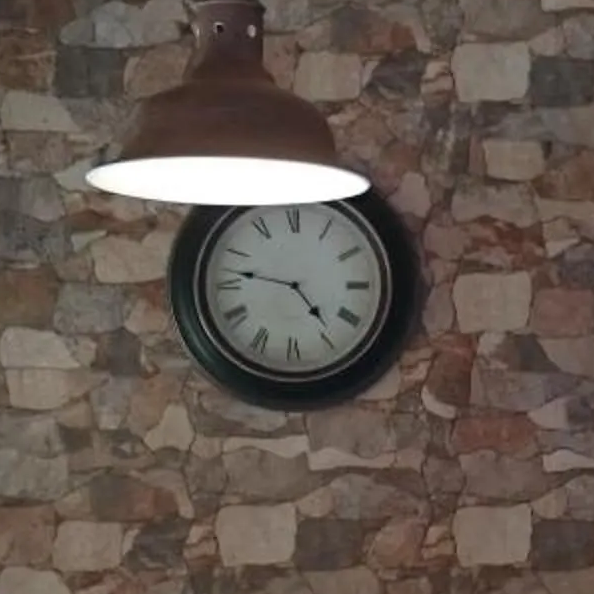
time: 4:46
